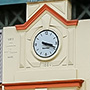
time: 3:18
